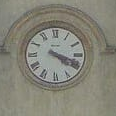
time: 4:18
